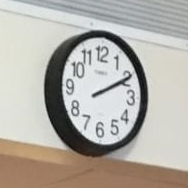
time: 2:10
